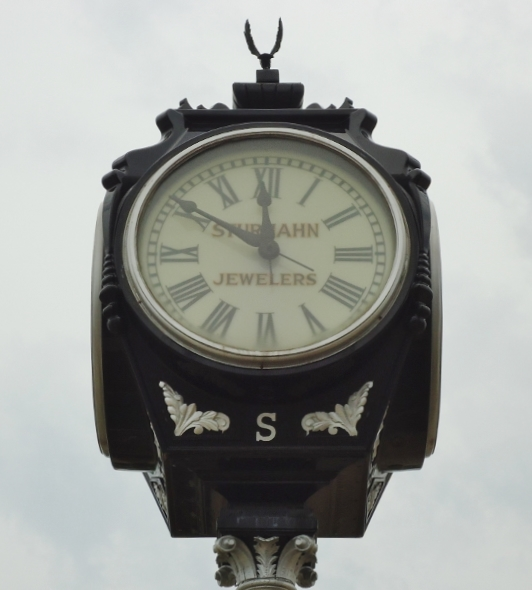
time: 11:50
